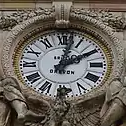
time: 2:02
